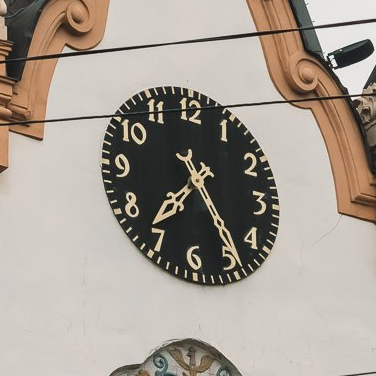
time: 7:24
